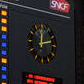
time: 12:12
